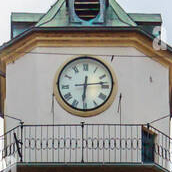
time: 6:13
